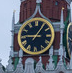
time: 9:05
